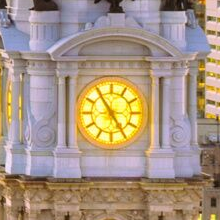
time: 4:54
